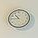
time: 10:45
